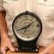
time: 1:41
